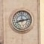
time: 8:12
